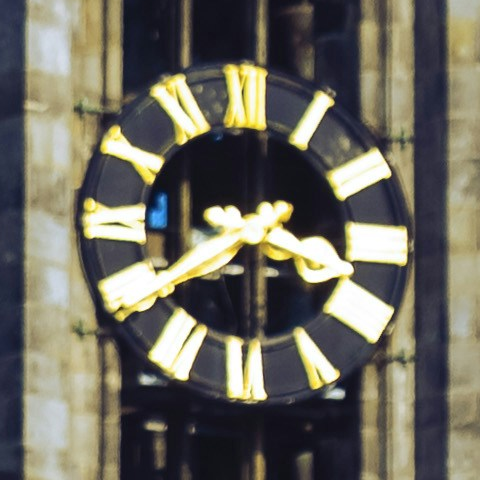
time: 3:40
